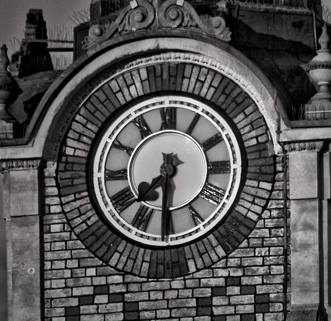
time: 7:30
